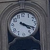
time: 4:18
